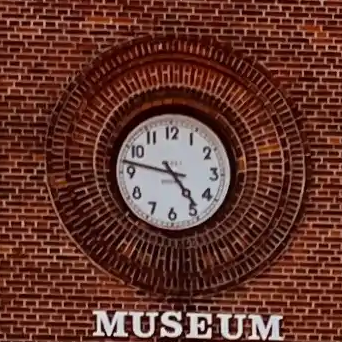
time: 4:46
